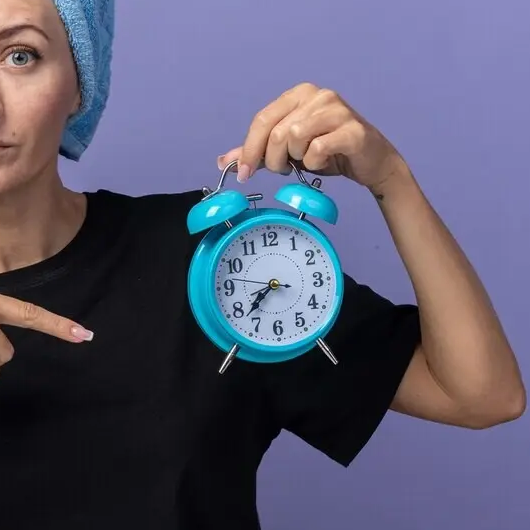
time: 7:37
